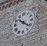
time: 10:21
